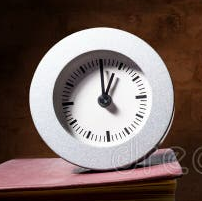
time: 1:00
